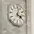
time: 4:02
